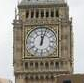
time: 12:03
